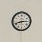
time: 8:14
